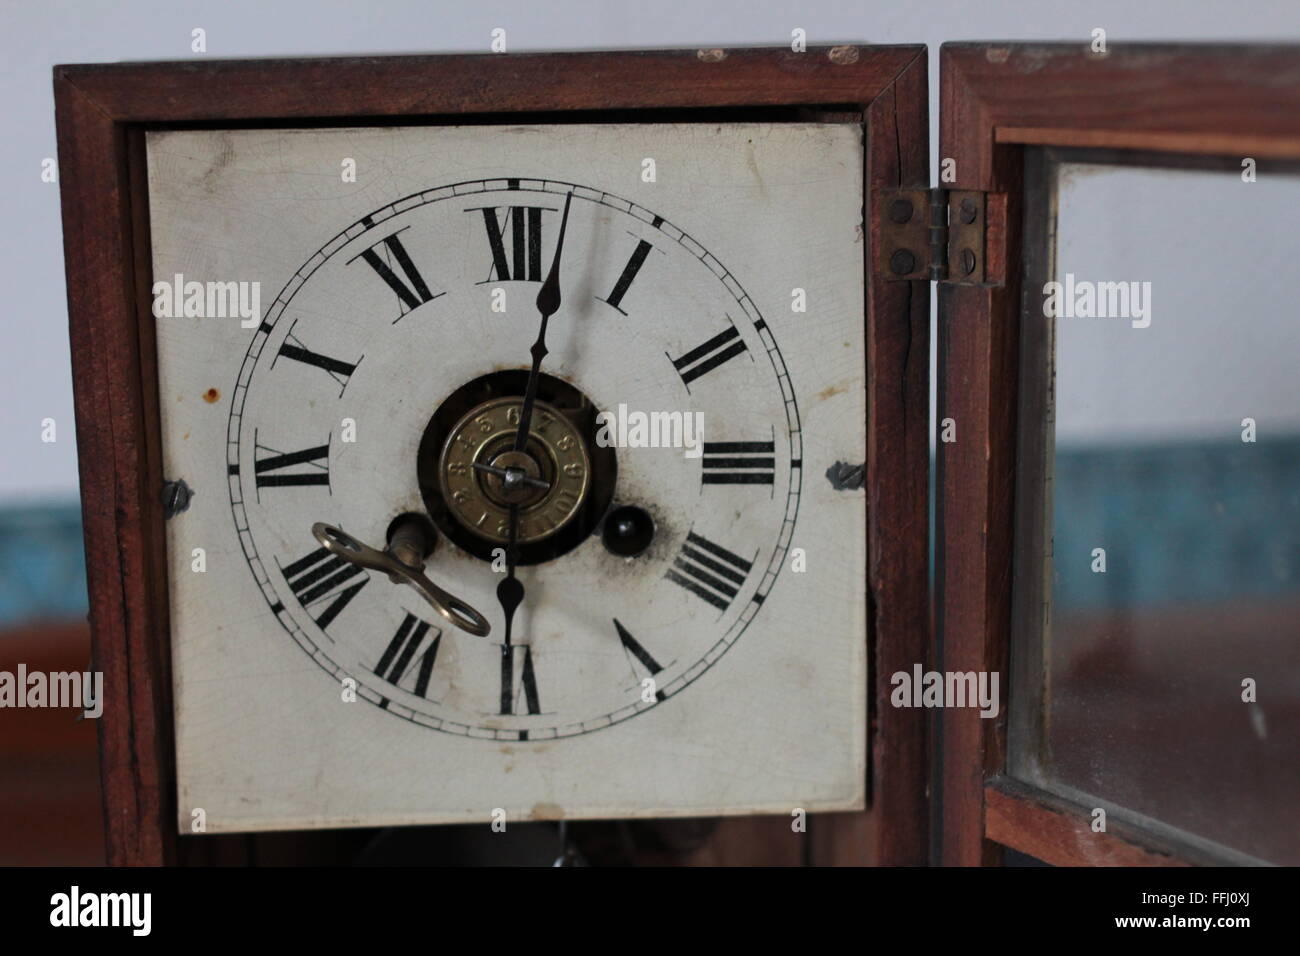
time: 6:02
